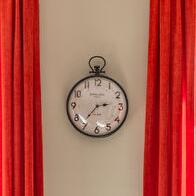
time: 2:36
